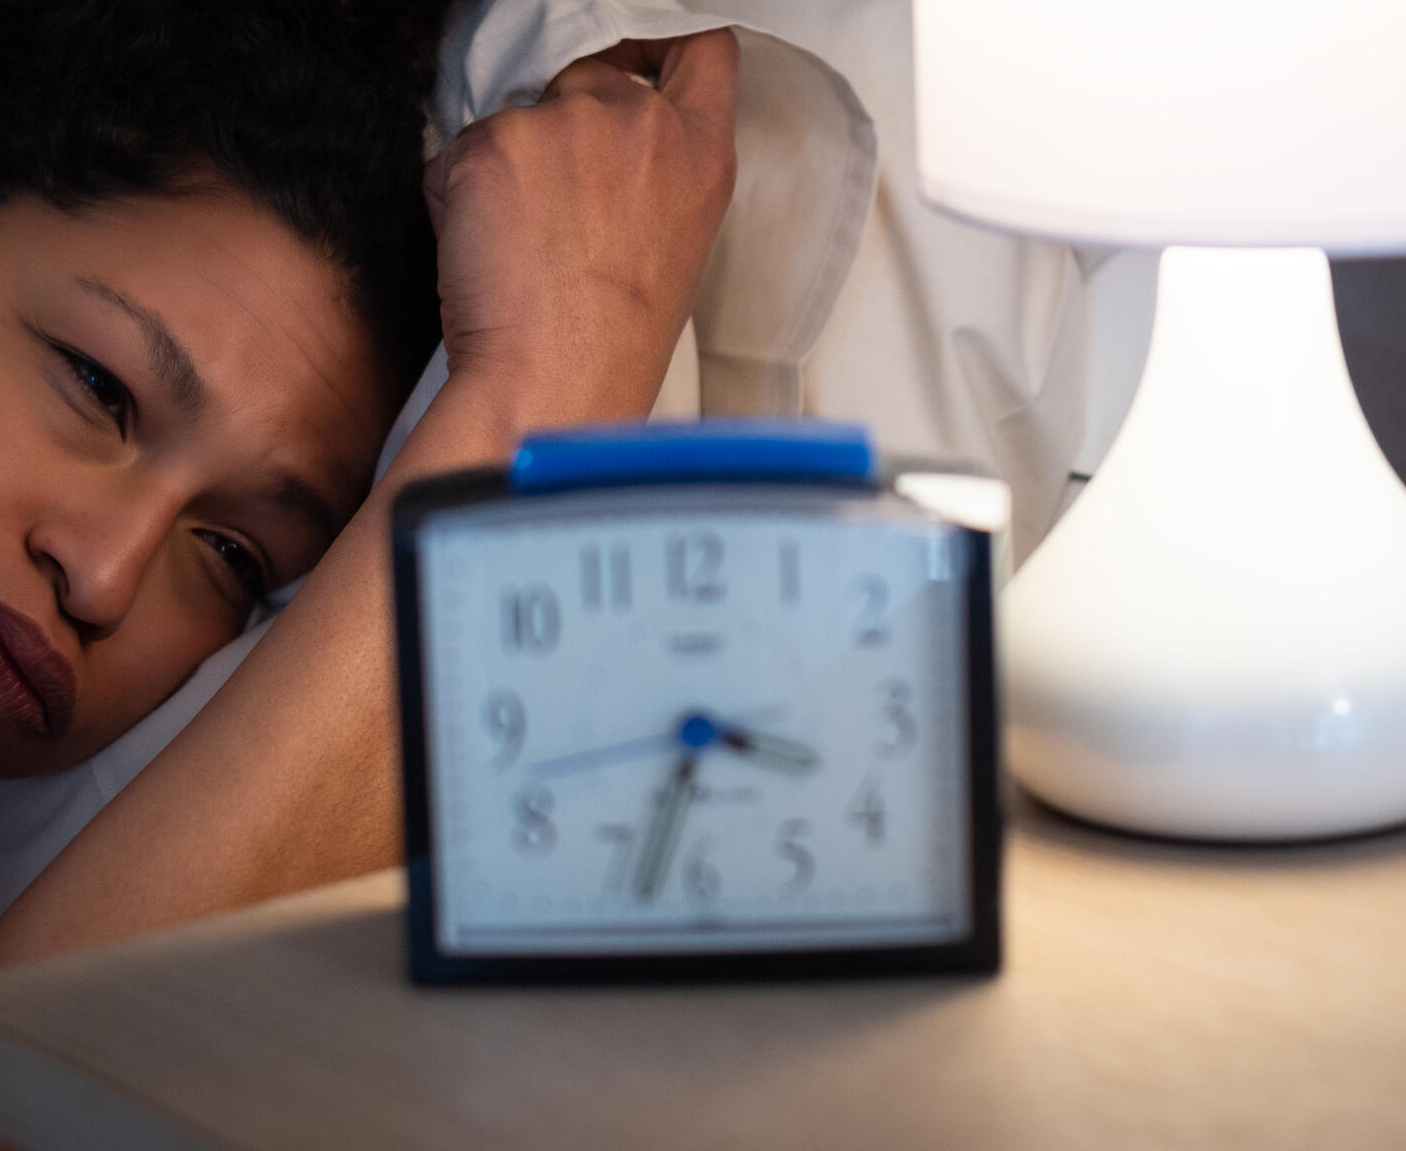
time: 3:33
